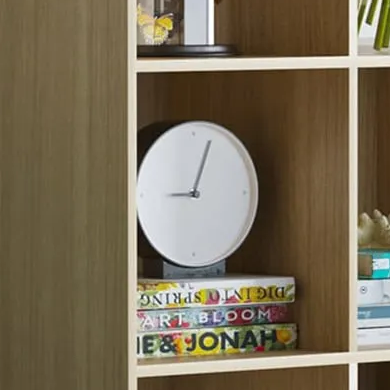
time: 9:03
